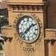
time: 1:37
